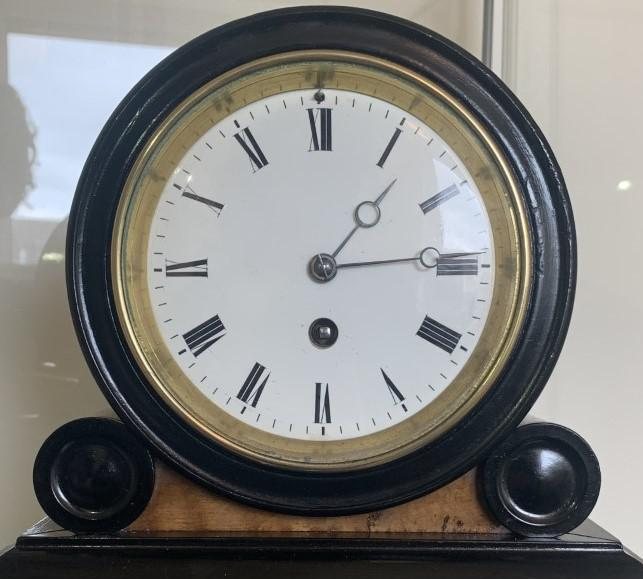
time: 1:14
